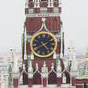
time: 4:40
